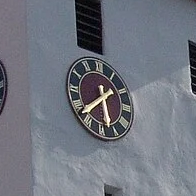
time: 5:38
